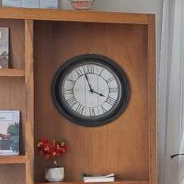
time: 3:57
